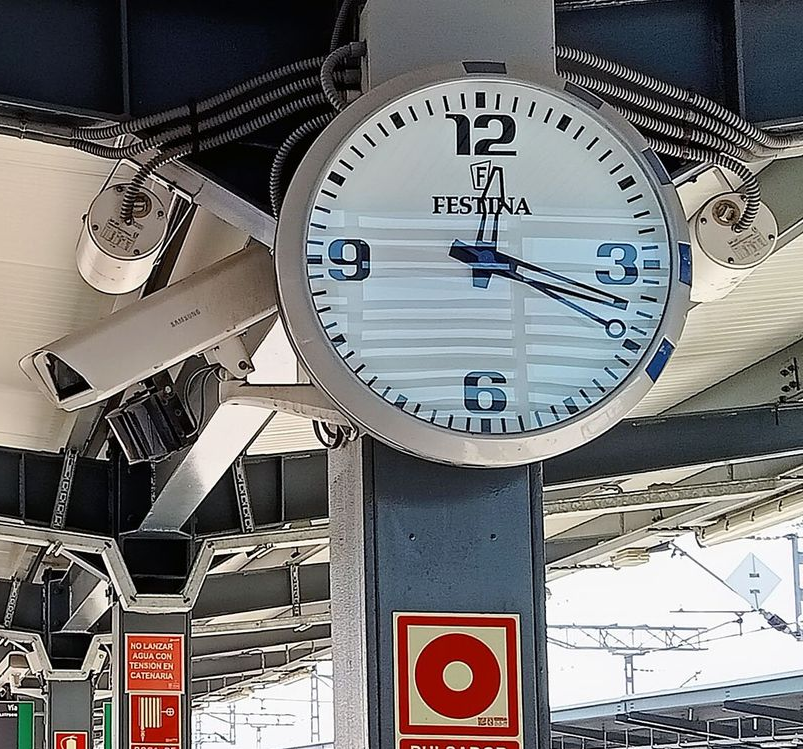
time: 12:18
